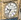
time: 9:36
